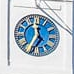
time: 11:35
